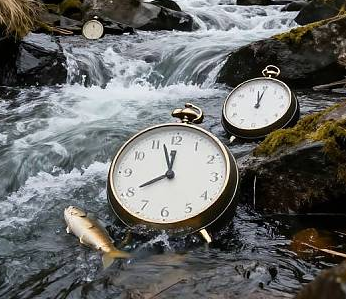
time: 7:57
